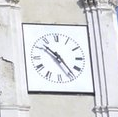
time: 10:23
